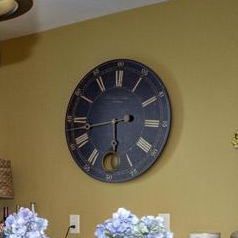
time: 5:42
